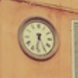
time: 6:25
